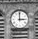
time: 3:00
